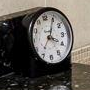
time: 4:04
